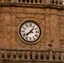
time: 8:06
